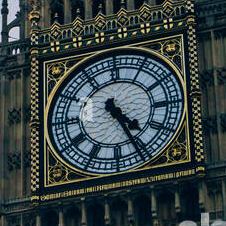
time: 4:26
